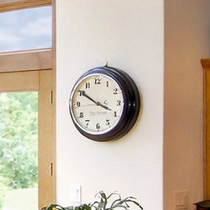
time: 3:50
